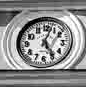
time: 5:03
